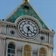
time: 4:31
